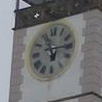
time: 11:14
